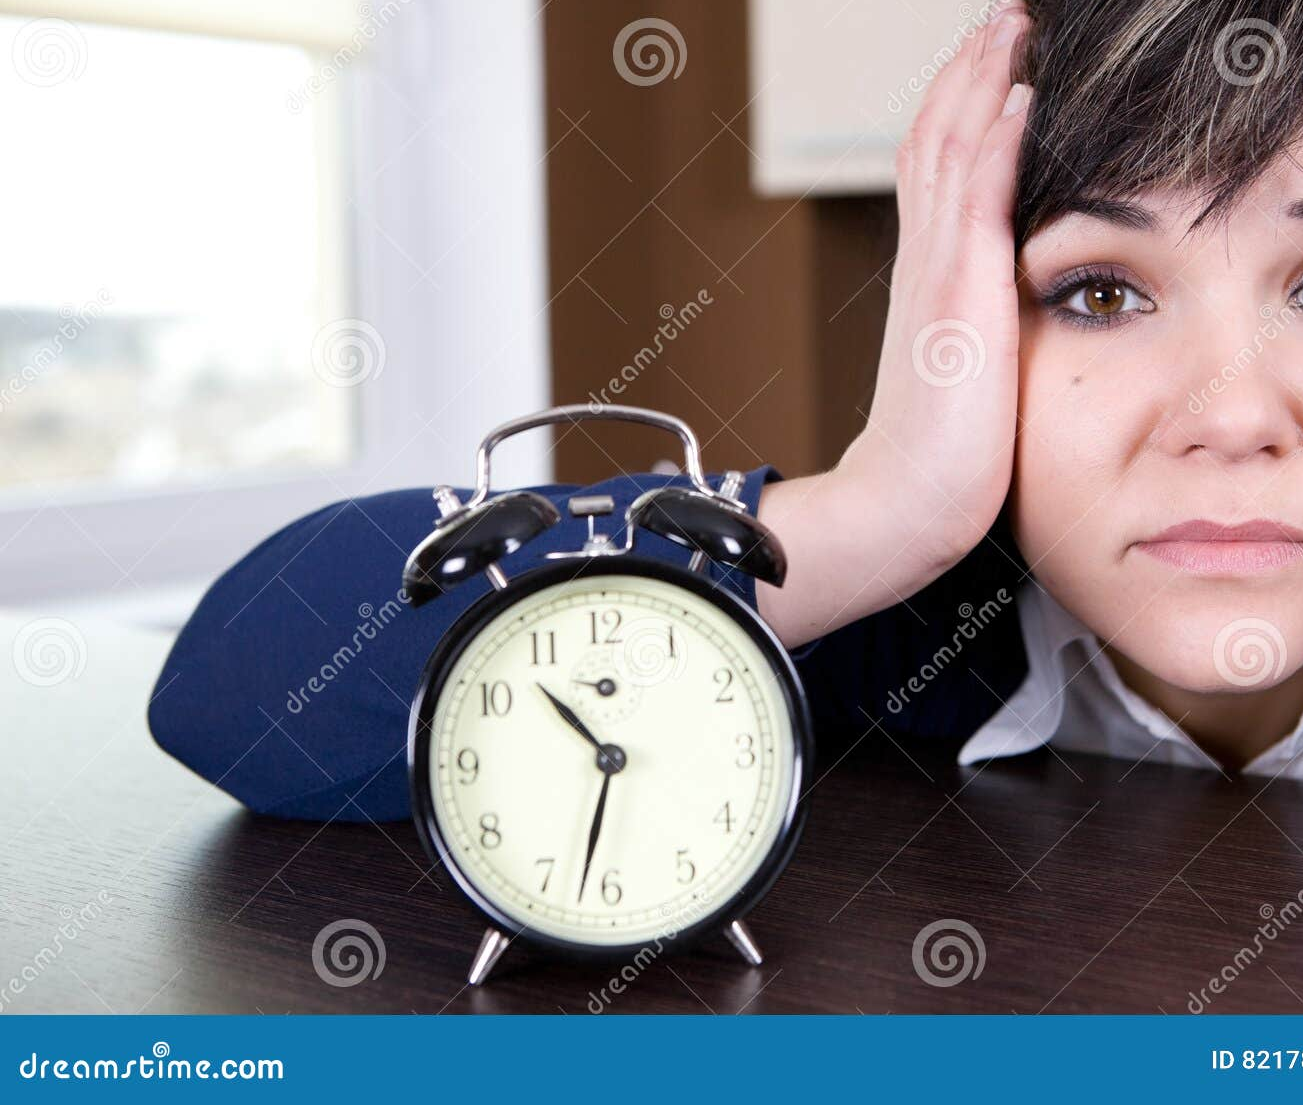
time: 10:32
